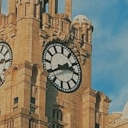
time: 2:39
